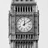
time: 12:09
